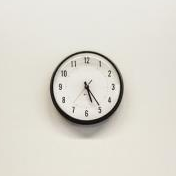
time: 5:24
